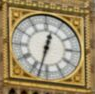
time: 12:32
